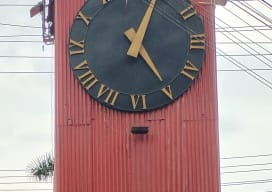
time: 5:04
